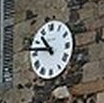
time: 10:46
